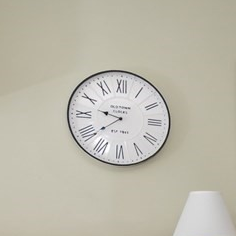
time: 9:38
